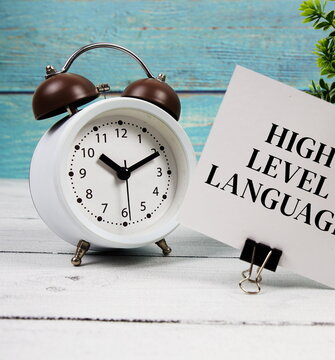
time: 10:10
